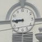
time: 8:45
